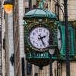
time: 2:25
